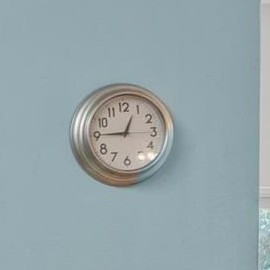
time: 12:45
